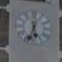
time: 5:33
